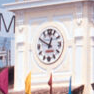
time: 12:49
